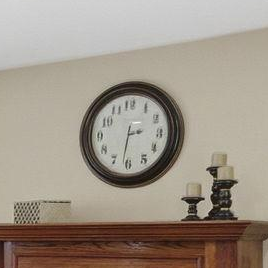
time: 2:31
